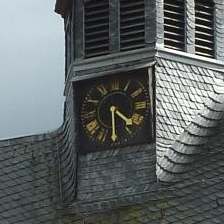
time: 4:30
